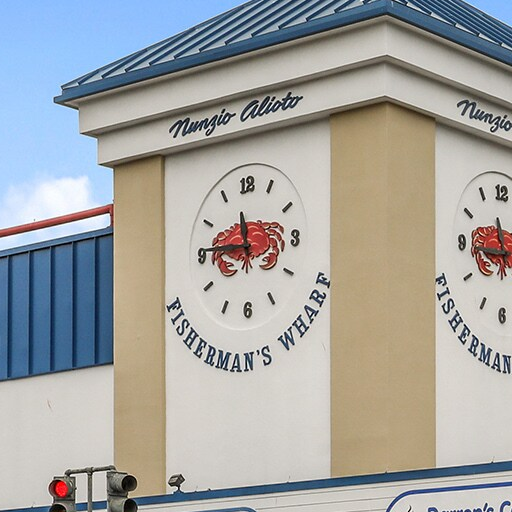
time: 11:45
